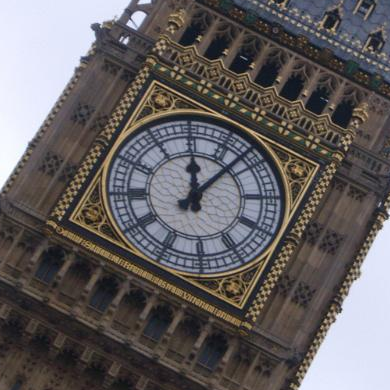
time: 12:07
